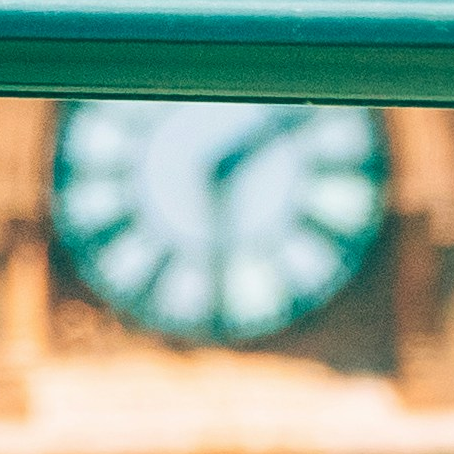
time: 1:29
